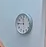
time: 11:45
